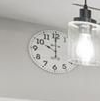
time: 10:00
